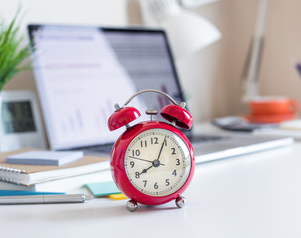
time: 8:04
